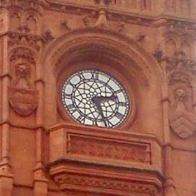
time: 2:26
